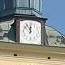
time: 11:53
